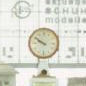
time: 9:50
